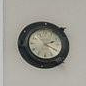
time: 2:19
